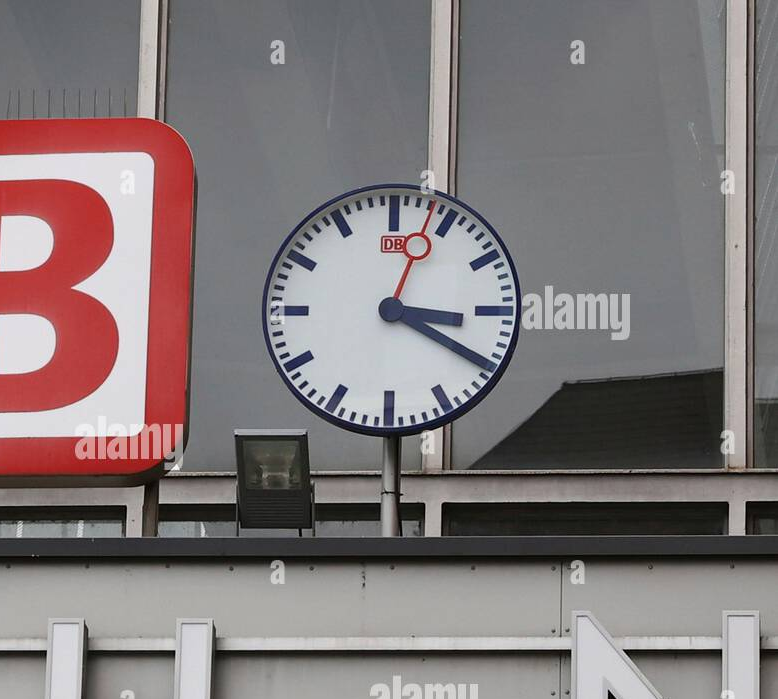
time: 3:20
